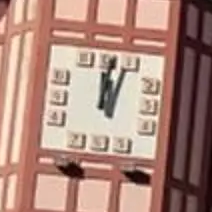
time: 12:03
